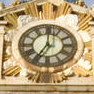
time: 7:00
